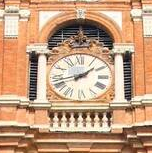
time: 1:42
